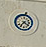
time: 7:20
